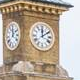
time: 12:09
